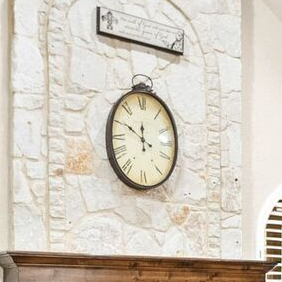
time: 11:50
